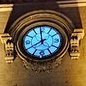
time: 7:58
